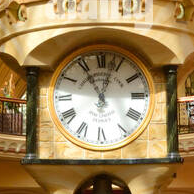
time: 11:02
